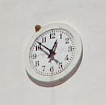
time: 12:51
